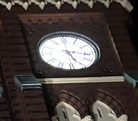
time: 5:16
